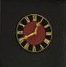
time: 12:40
